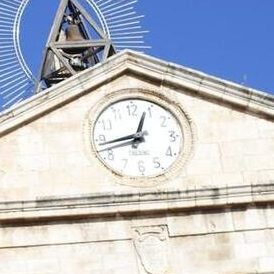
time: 12:43
